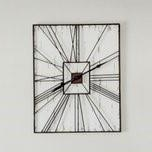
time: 8:11
